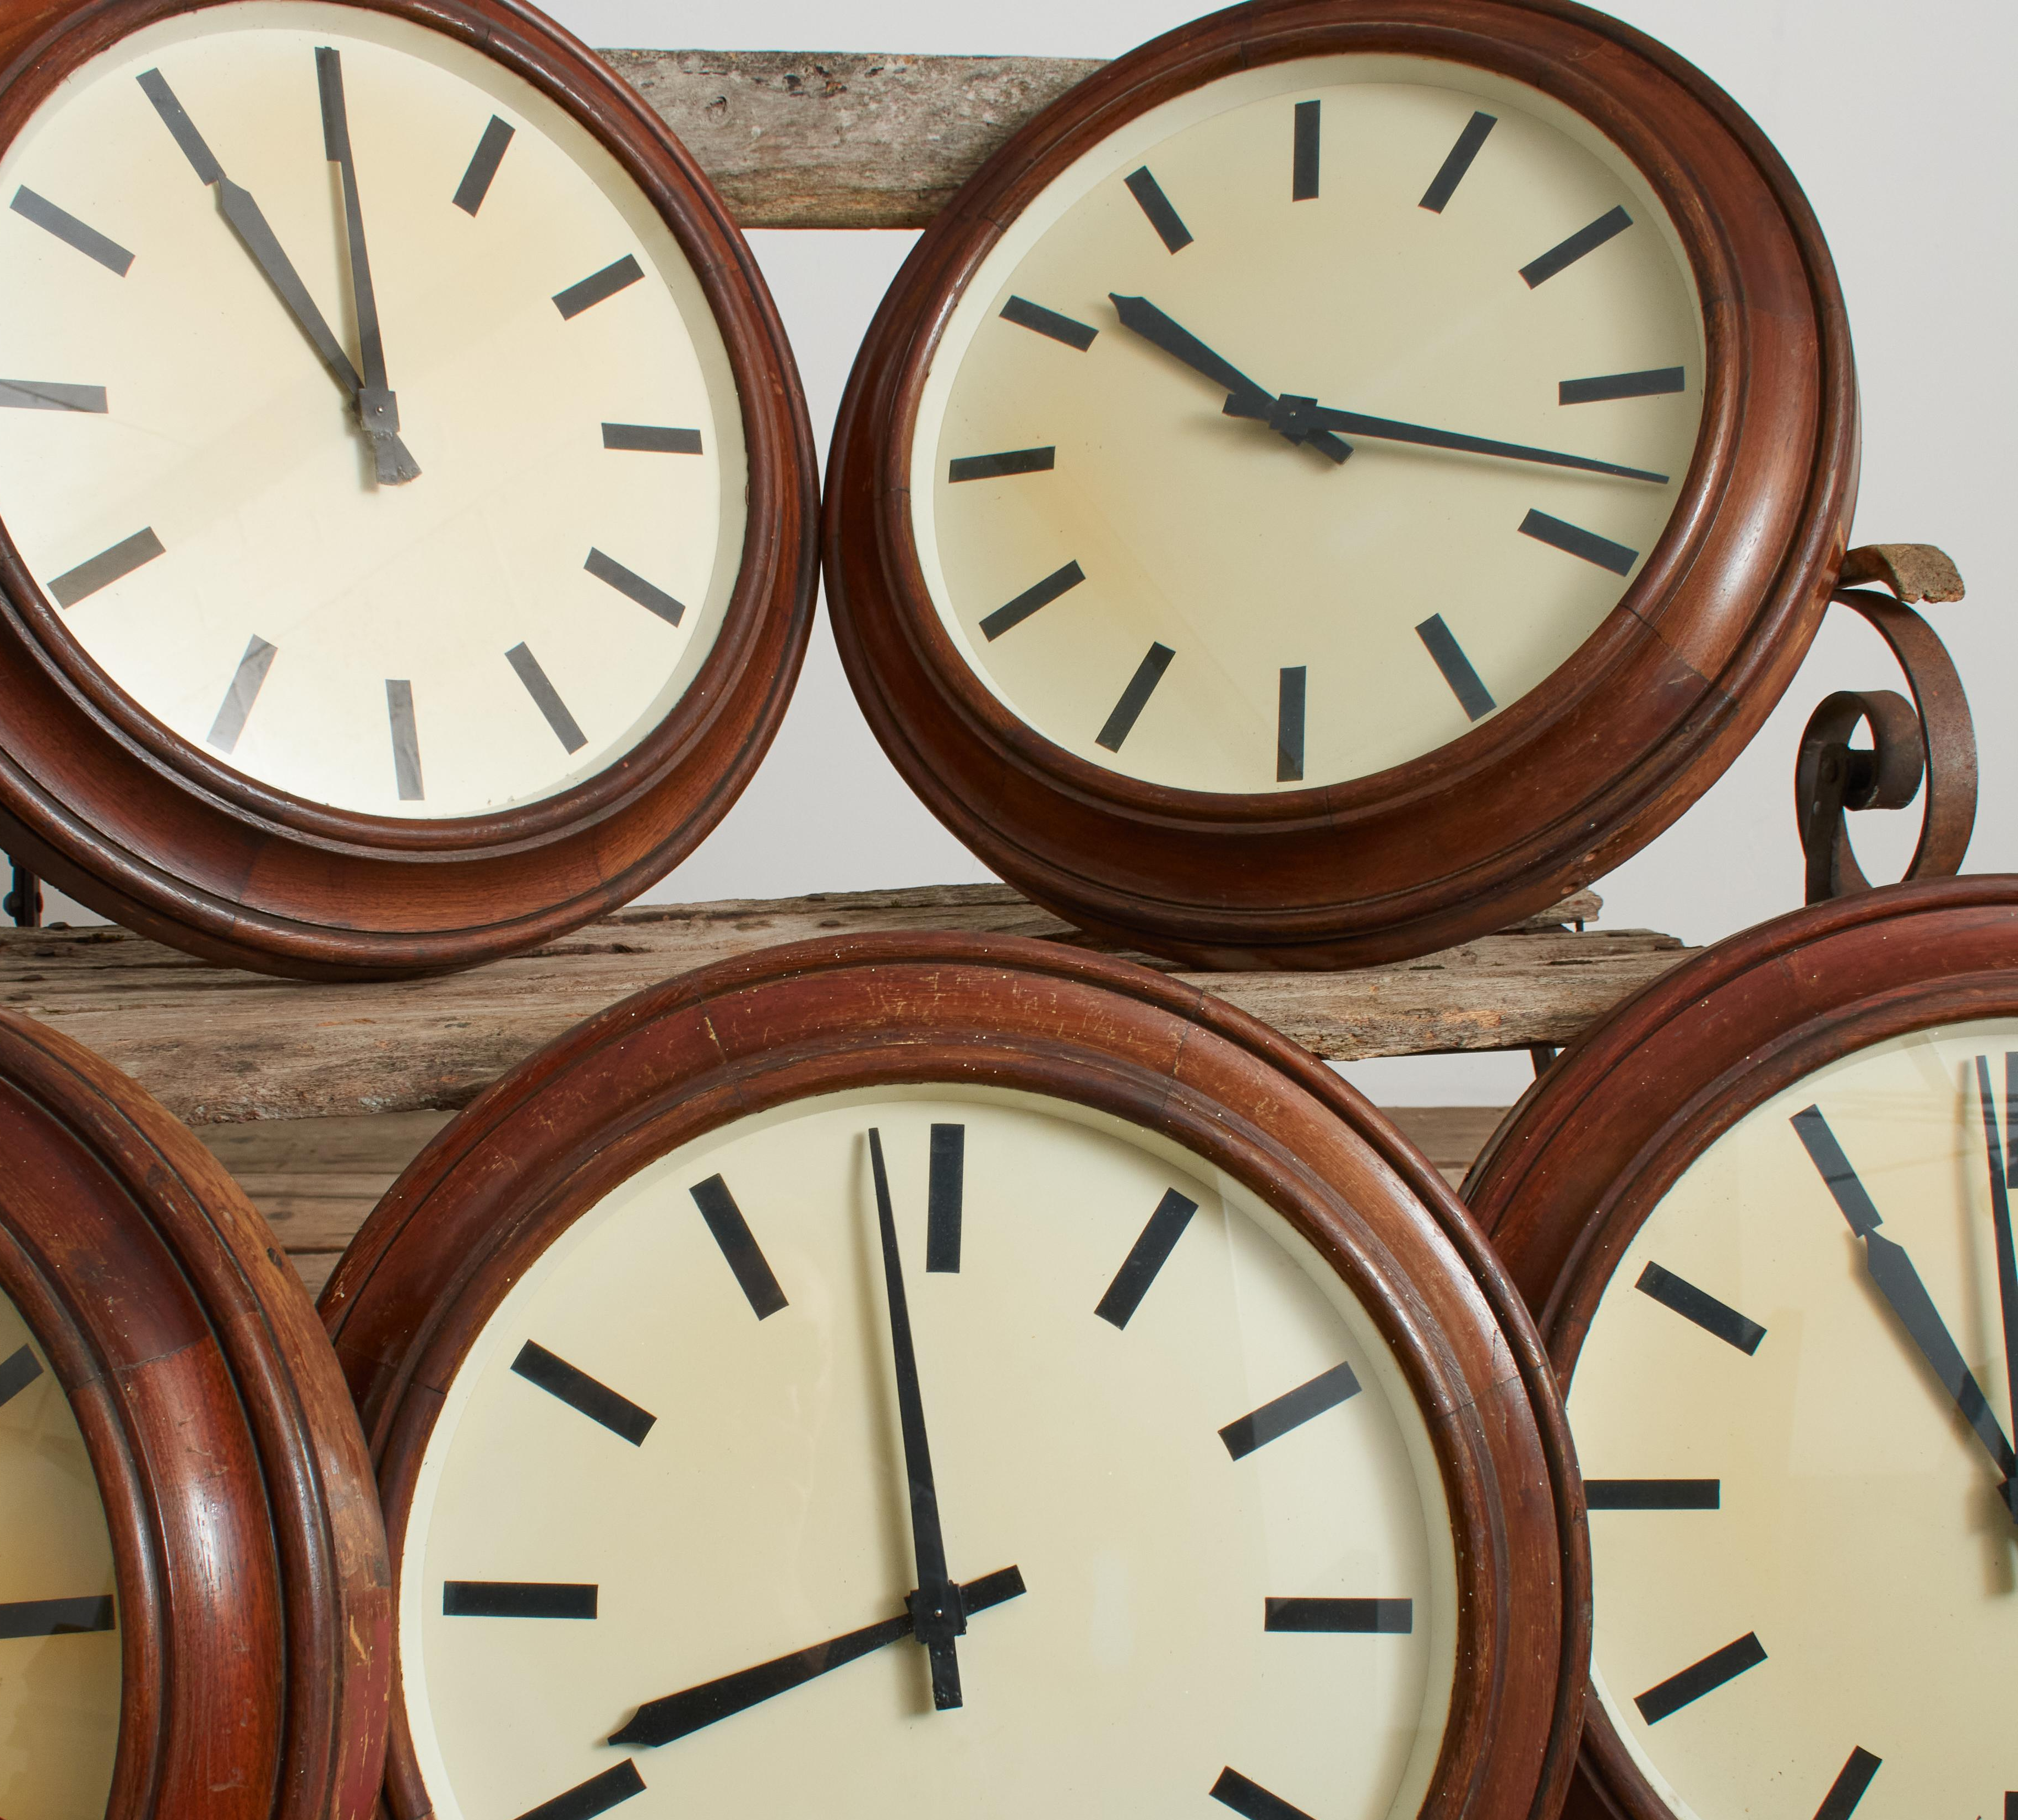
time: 10:17
